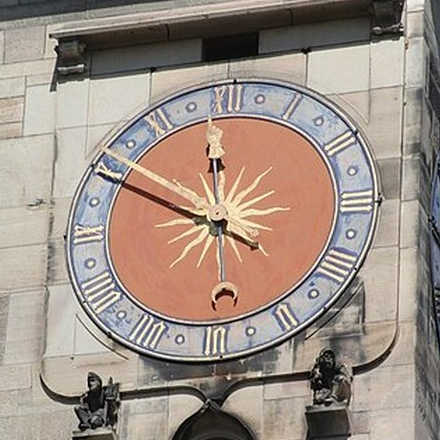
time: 11:49
